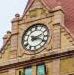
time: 2:18
